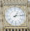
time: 1:13
